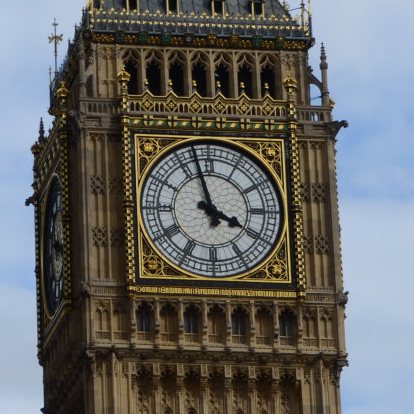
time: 3:57
